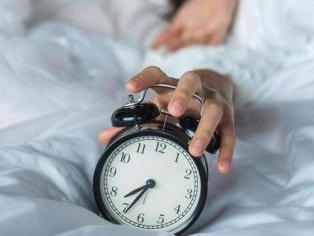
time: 7:34
